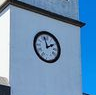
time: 1:57
